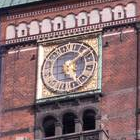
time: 5:08
